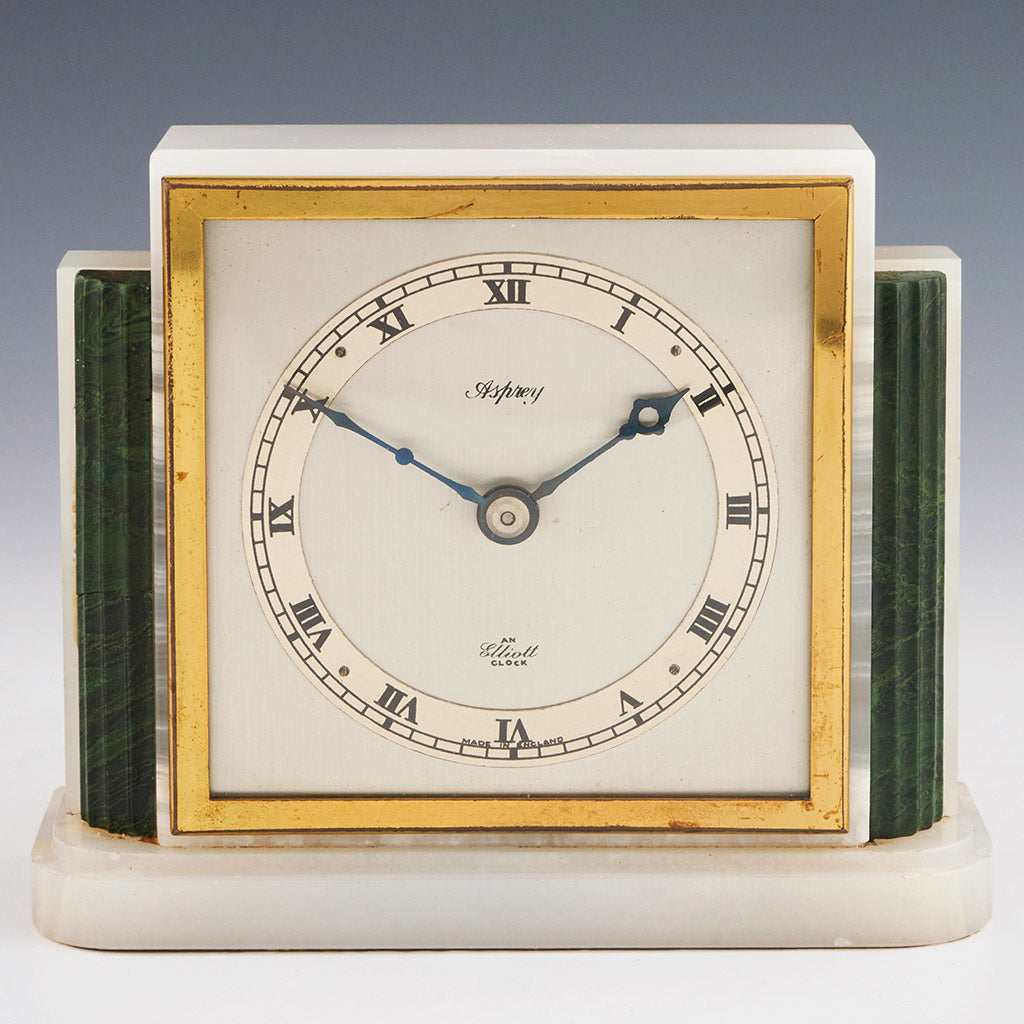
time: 1:50
